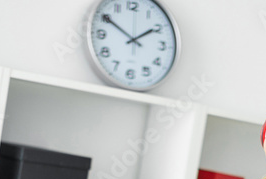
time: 1:50
